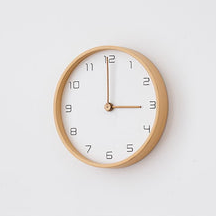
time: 2:59
